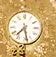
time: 7:28
